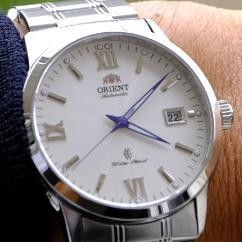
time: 4:08
